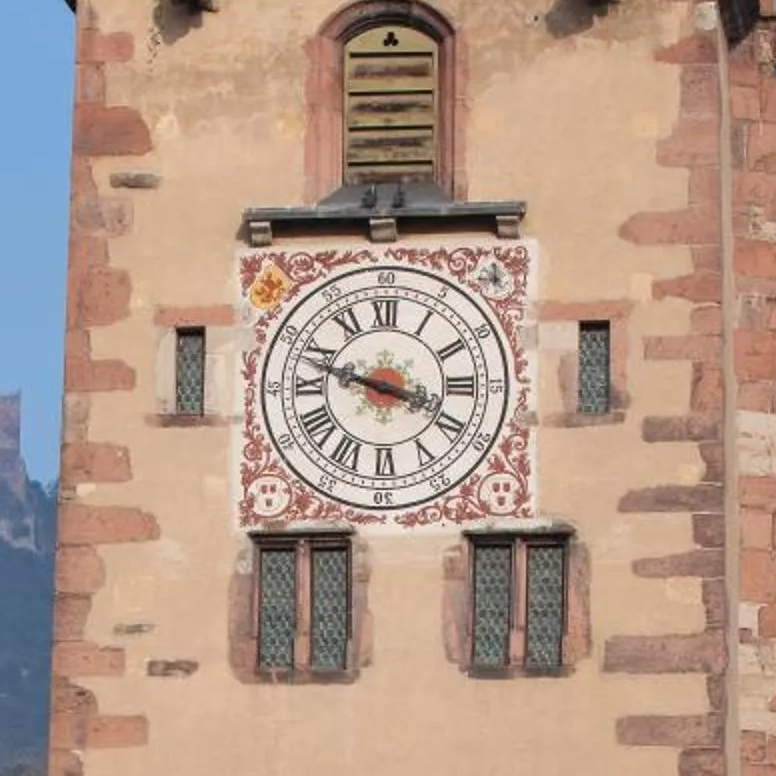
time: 3:47
